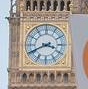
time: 3:40
